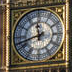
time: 11:42
